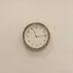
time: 11:13
